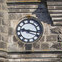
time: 9:16
